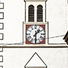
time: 1:30
